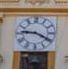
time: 9:20
